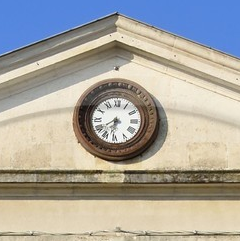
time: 7:31
